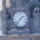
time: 1:37
